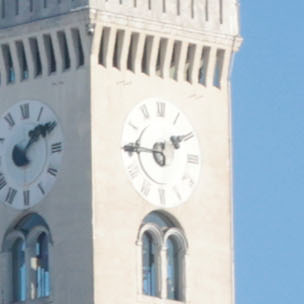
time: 1:45
